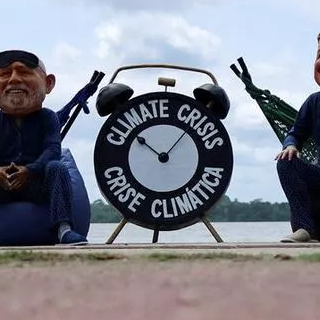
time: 10:07
